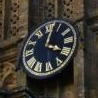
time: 4:02
